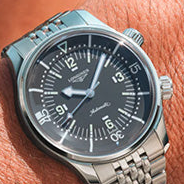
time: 9:03
